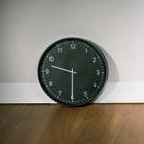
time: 9:30
